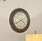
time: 3:40
